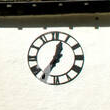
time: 12:34
